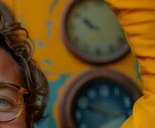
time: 9:50
